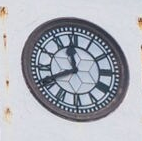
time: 11:41
